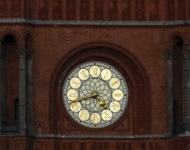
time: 4:42
